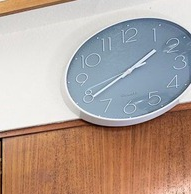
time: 1:39
